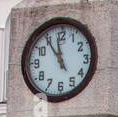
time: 11:54
